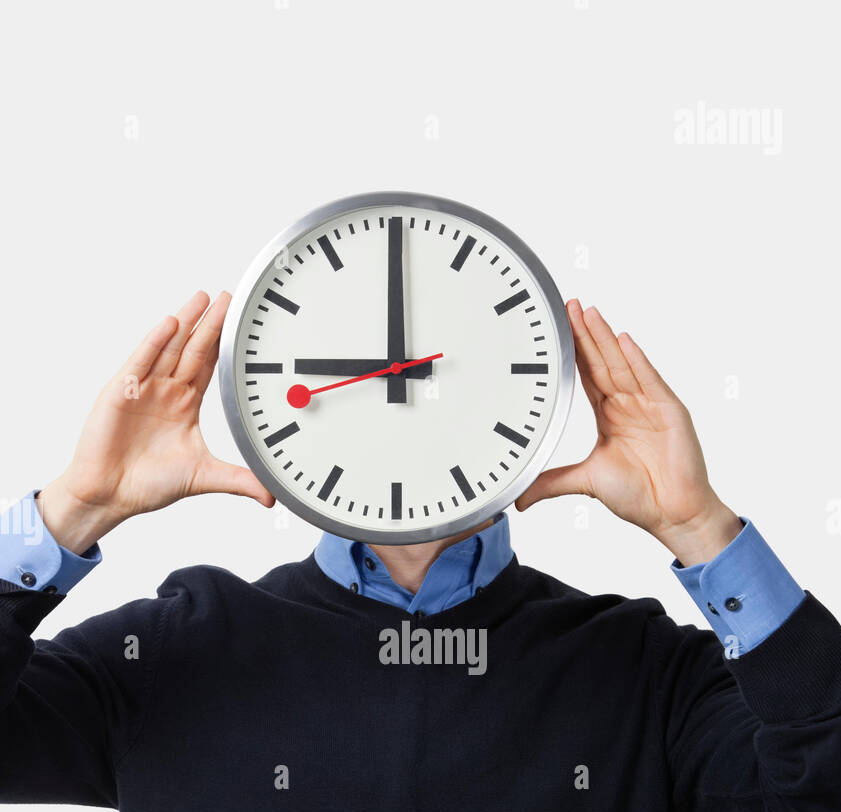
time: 8:59
